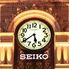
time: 5:39
